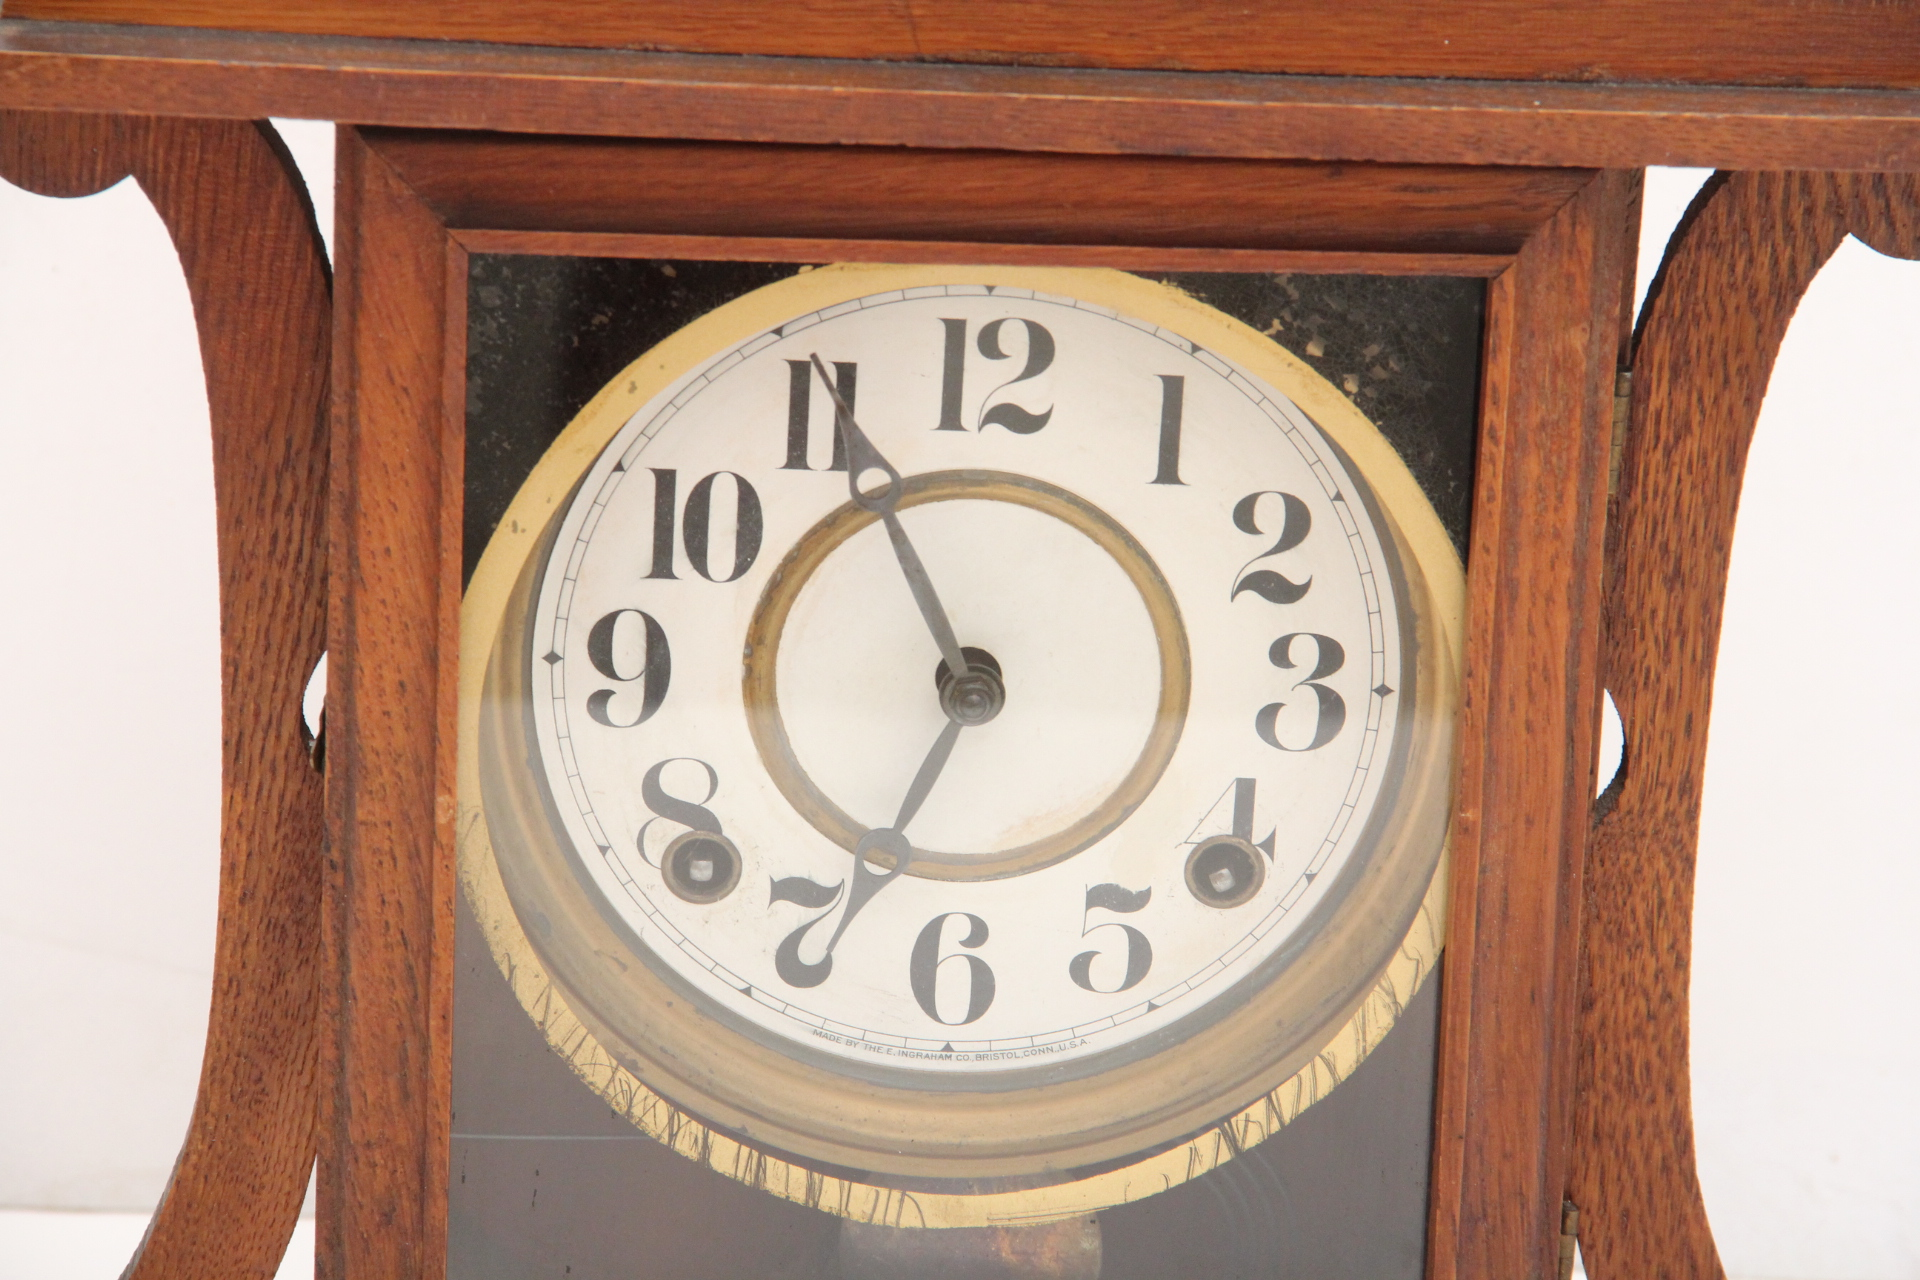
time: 6:55
